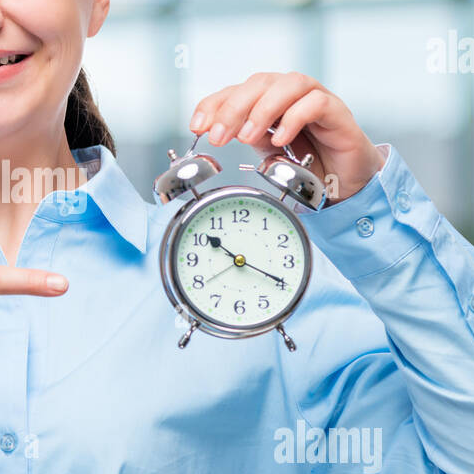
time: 10:19
